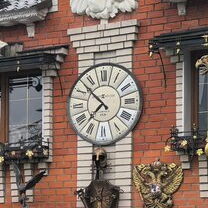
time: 7:52
